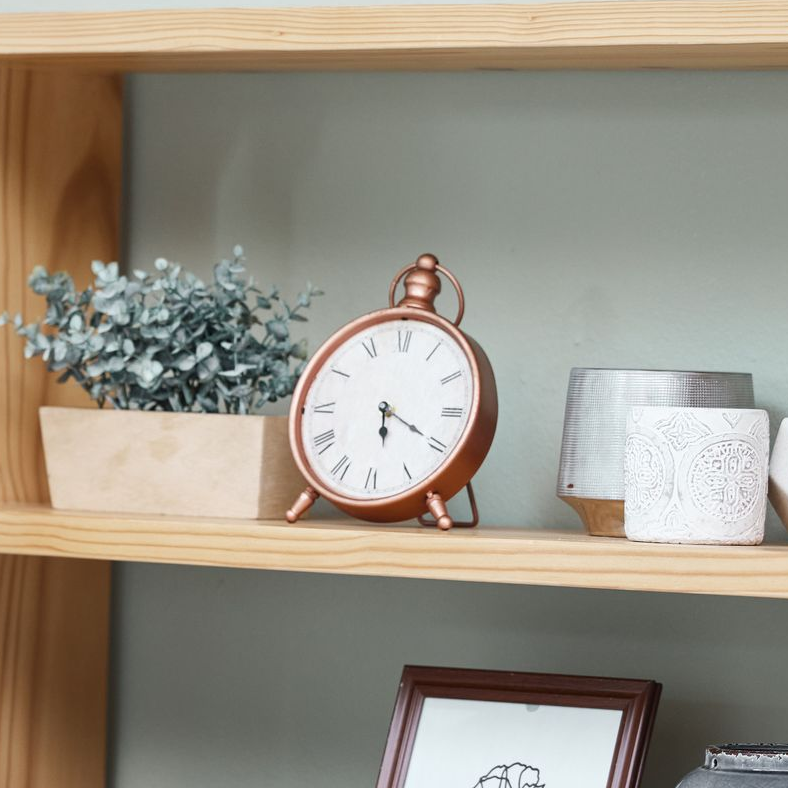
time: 5:19
